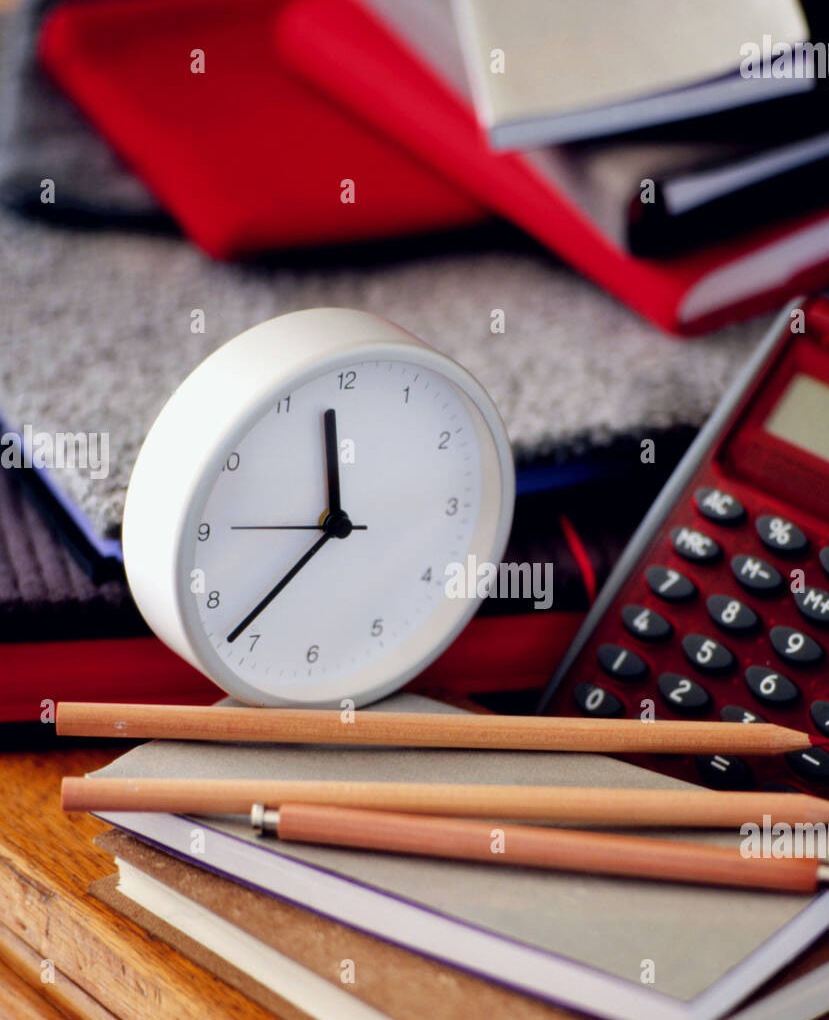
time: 11:36
